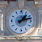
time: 1:12
